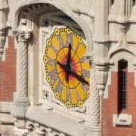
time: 12:18
